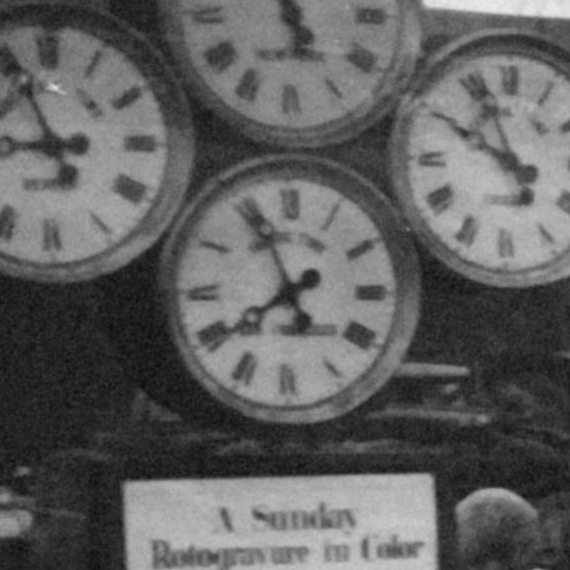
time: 7:55
